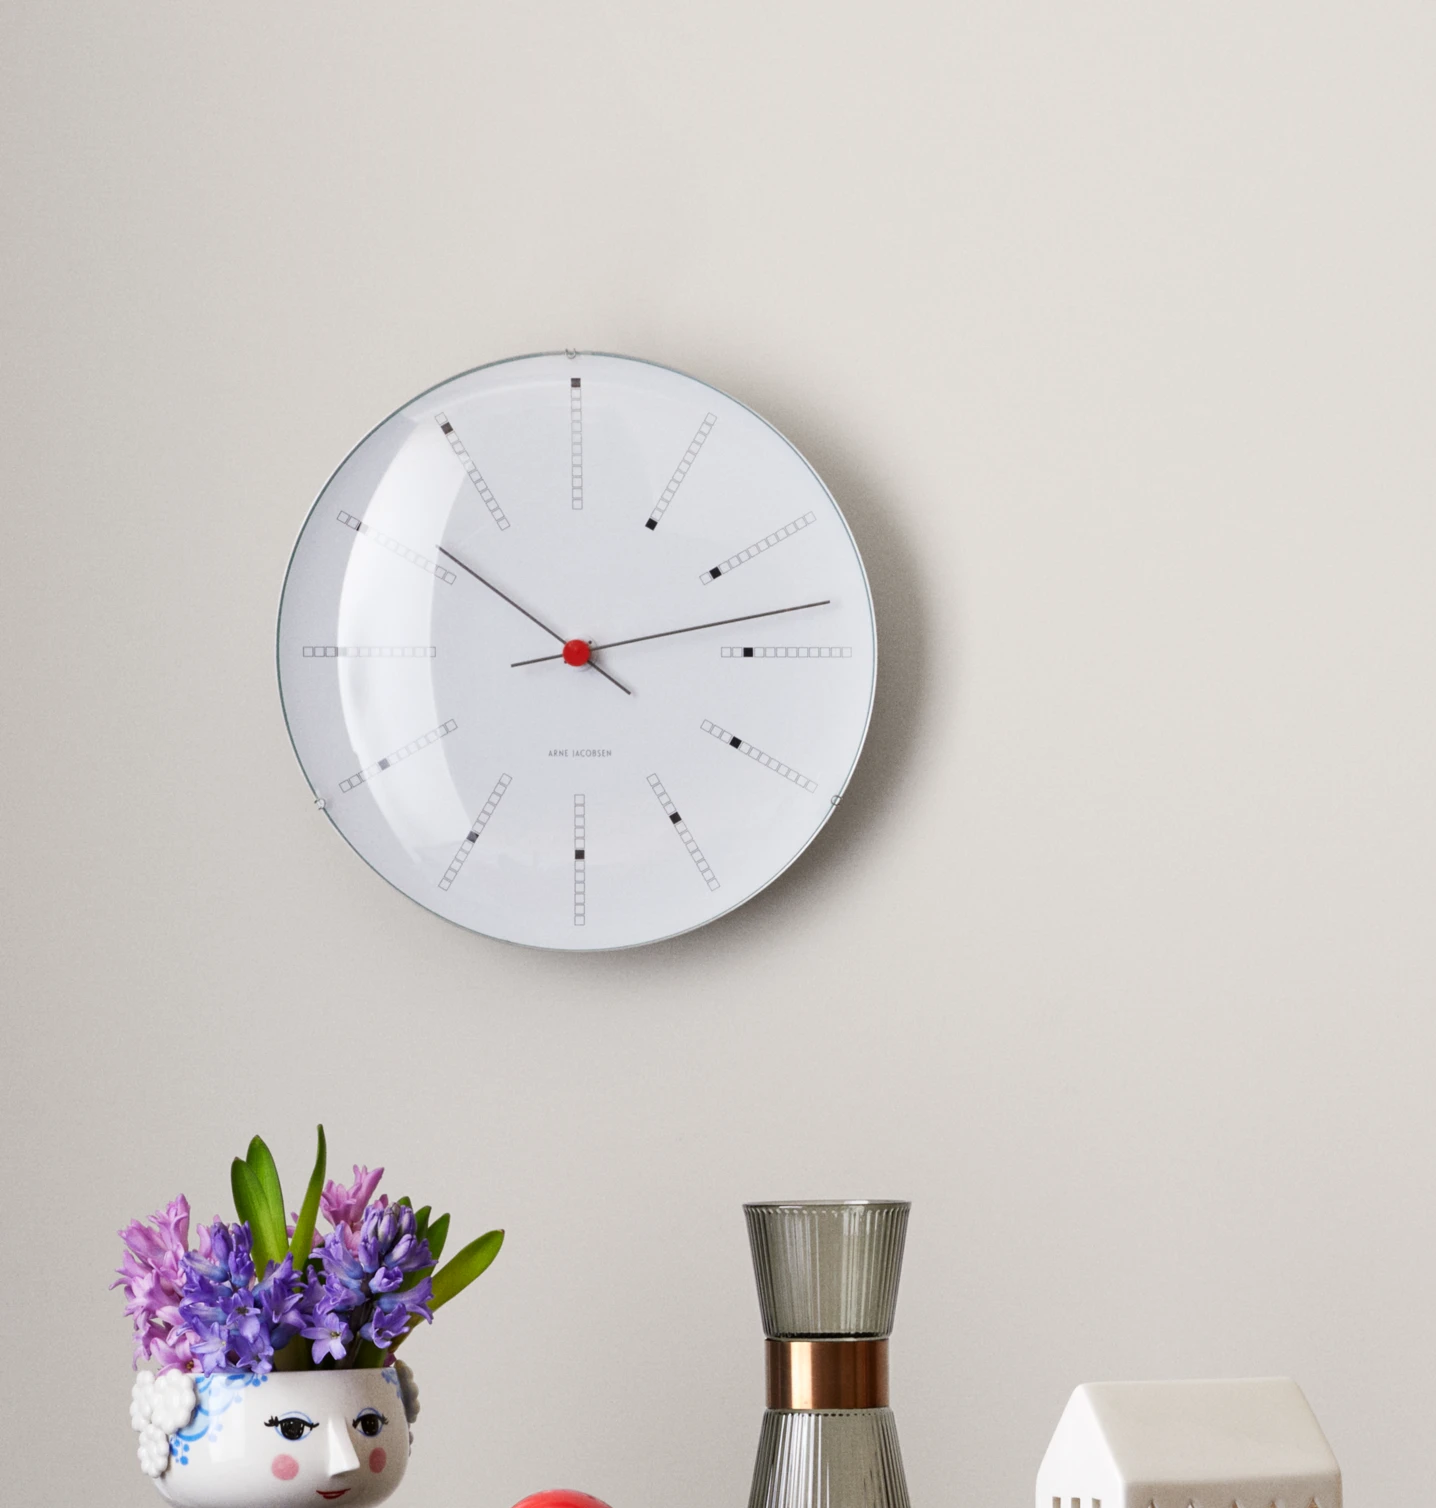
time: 10:12
